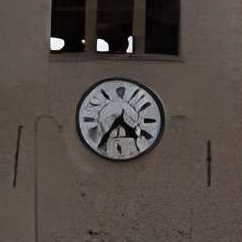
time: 4:35
